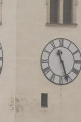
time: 11:26
